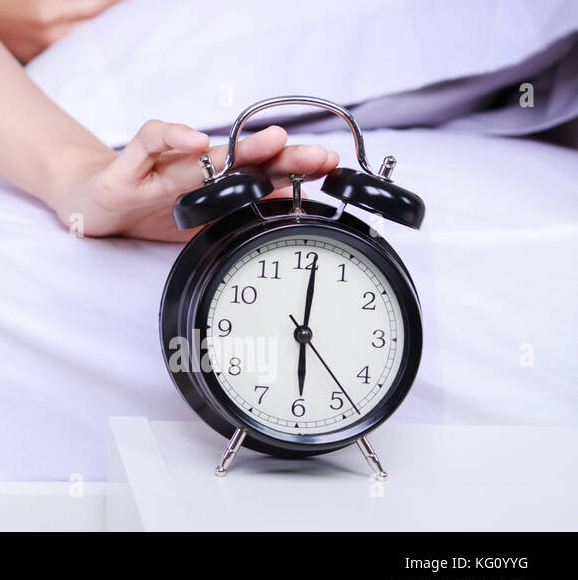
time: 6:01
